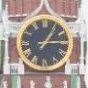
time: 1:14
